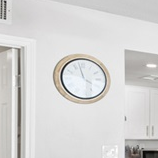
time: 3:57
